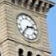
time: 2:36
